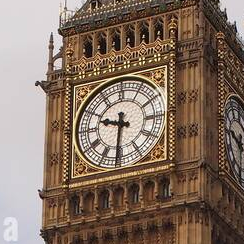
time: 9:31
